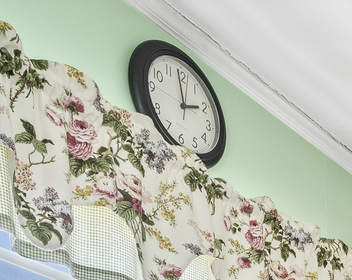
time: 1:58
